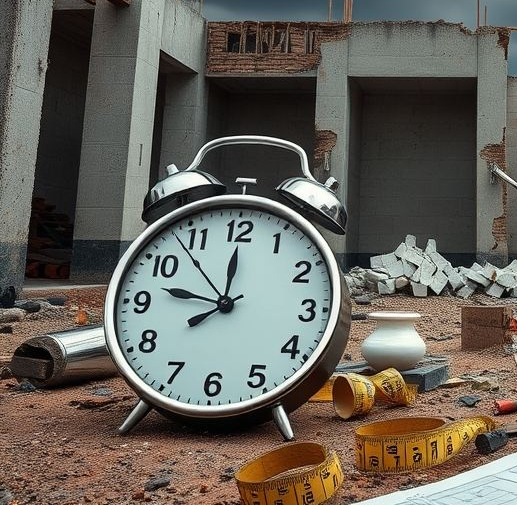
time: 8:00
